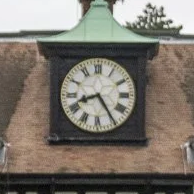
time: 8:24
